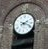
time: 2:18
